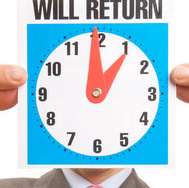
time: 12:59
